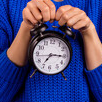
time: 7:15
